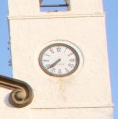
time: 7:38
